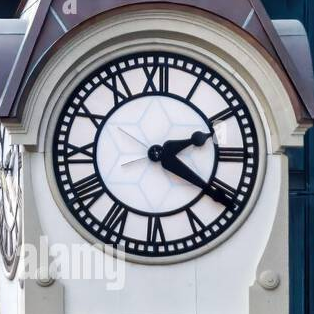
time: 2:20
